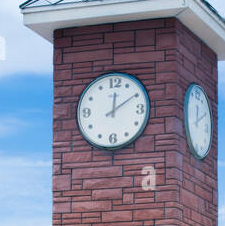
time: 12:09
